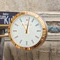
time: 11:02
